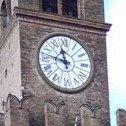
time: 11:46
